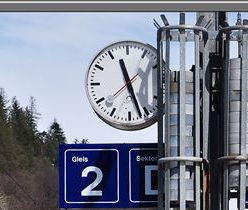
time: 11:26
